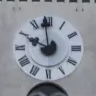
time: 9:58
